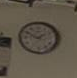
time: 1:50
